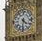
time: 4:31
